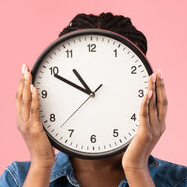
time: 10:49
